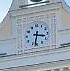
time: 3:32
